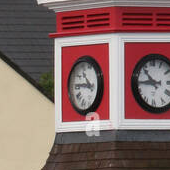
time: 10:45
